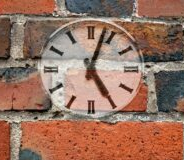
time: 5:03
